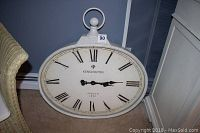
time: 3:14
